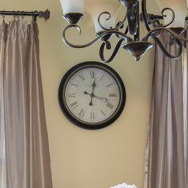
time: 12:17
